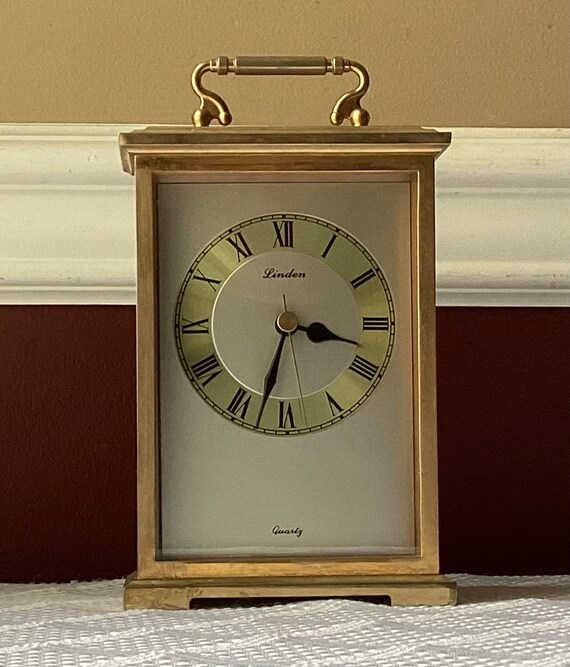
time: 3:33
